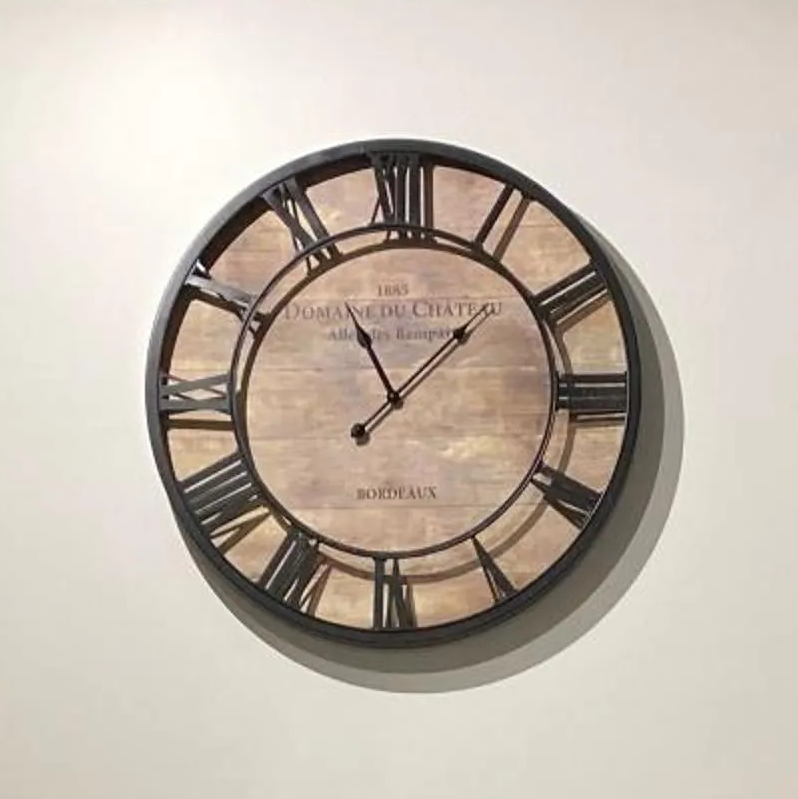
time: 11:07
